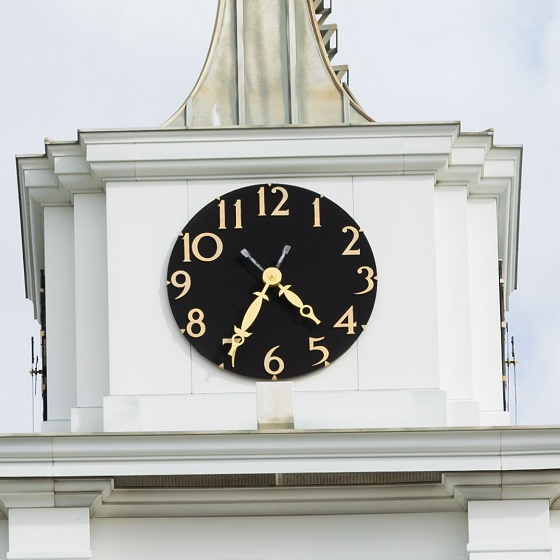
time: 4:34
